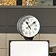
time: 11:09
